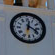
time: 12:19
